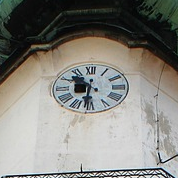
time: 10:31
